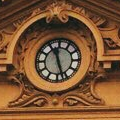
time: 11:26
